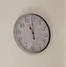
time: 10:59
